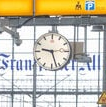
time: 9:27
